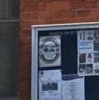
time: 9:12
